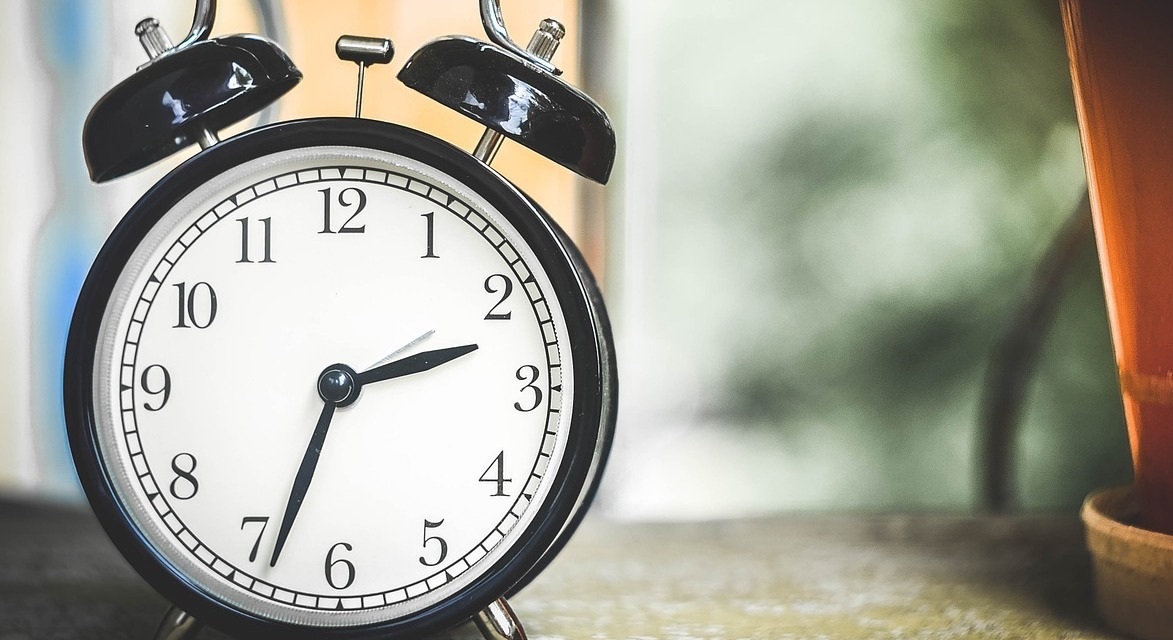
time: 2:33
